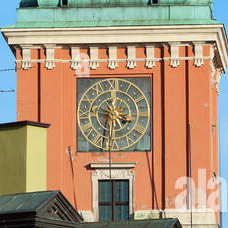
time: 3:32
